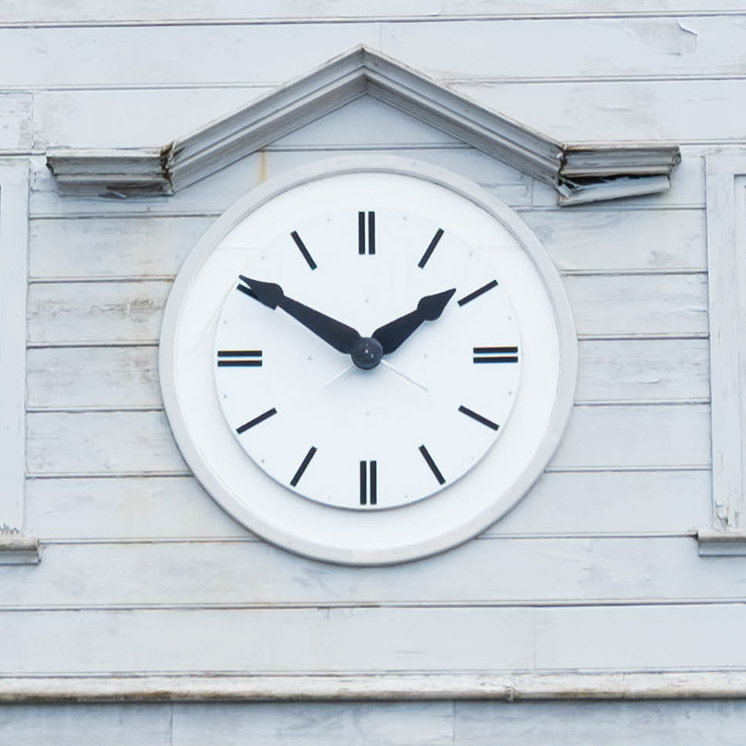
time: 1:50
